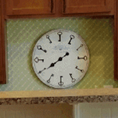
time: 7:39
